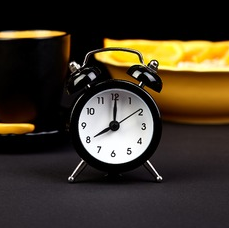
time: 8:00
